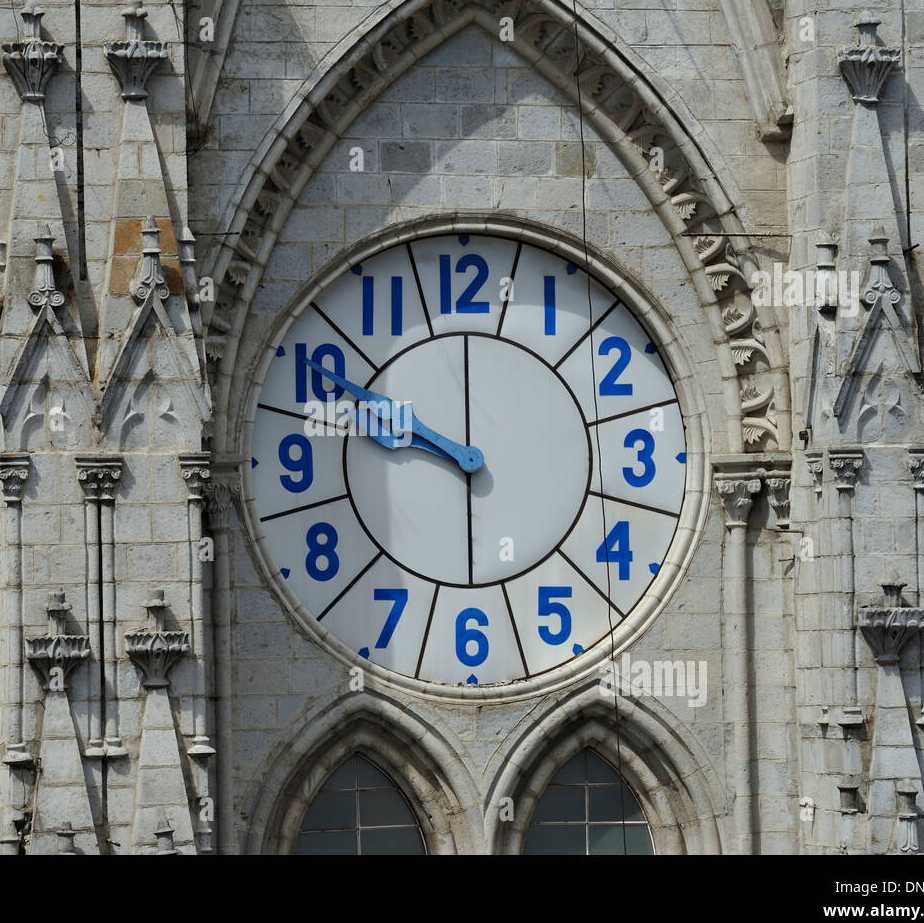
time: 9:47
